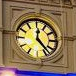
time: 12:23
